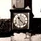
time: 11:22
